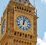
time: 12:03
